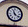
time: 11:21
